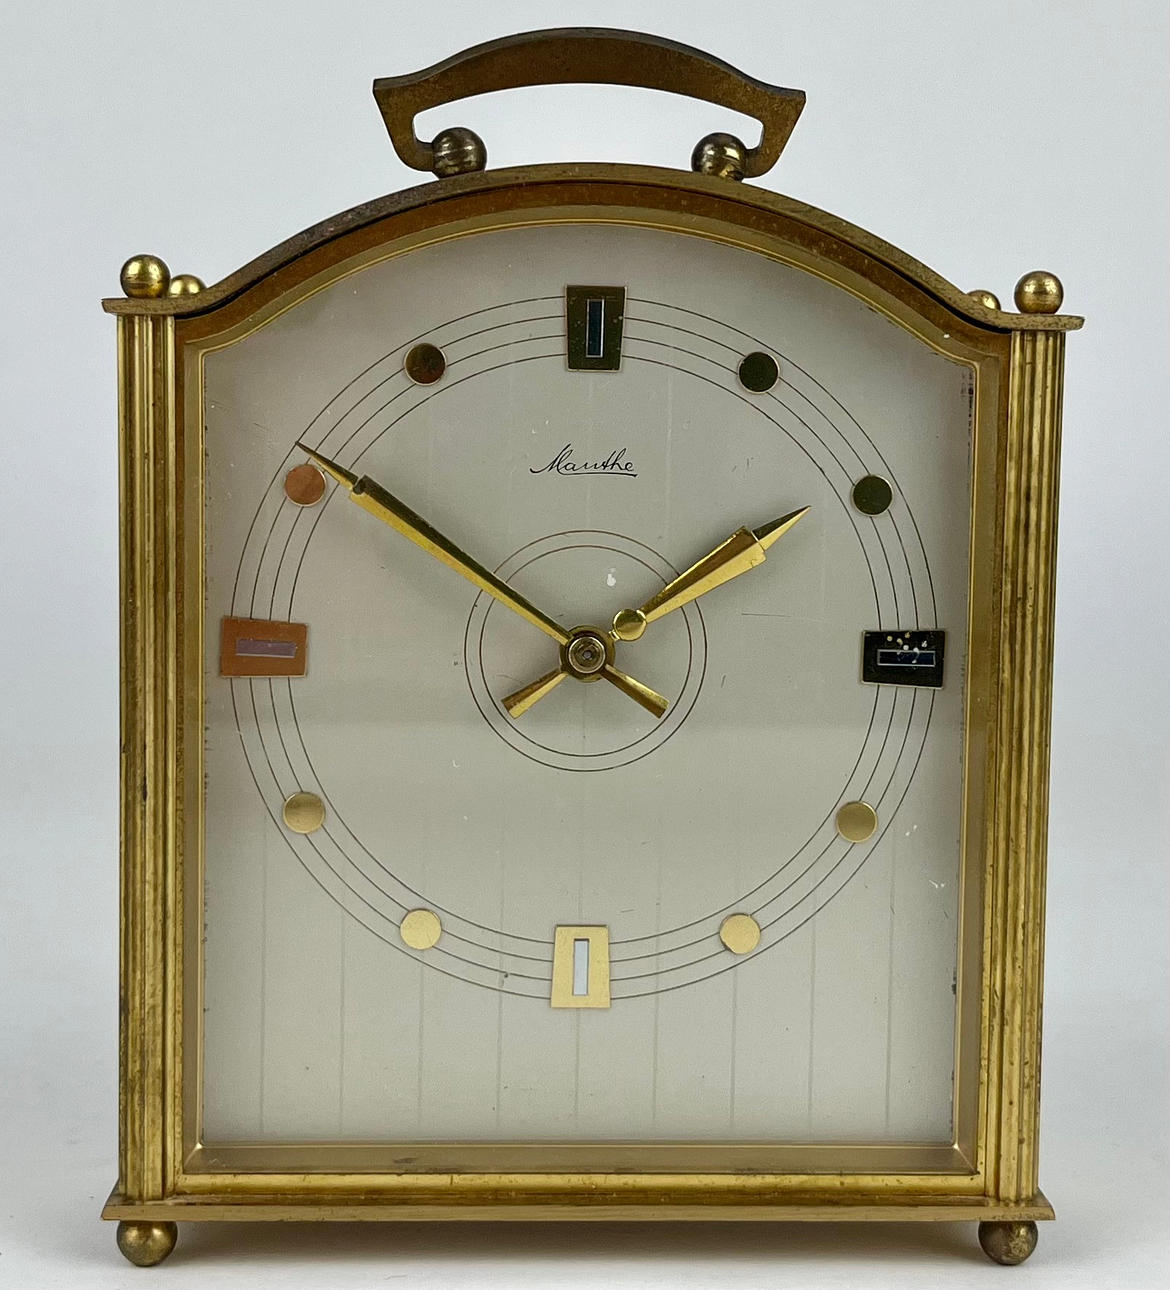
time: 1:50
